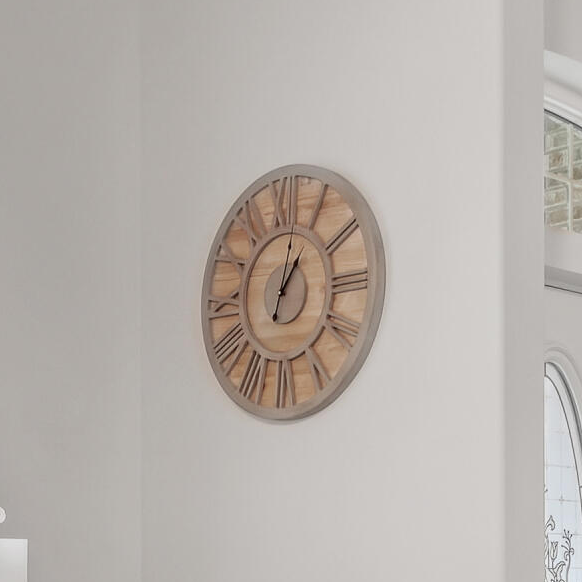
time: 1:02
